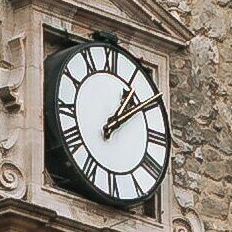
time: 1:08
